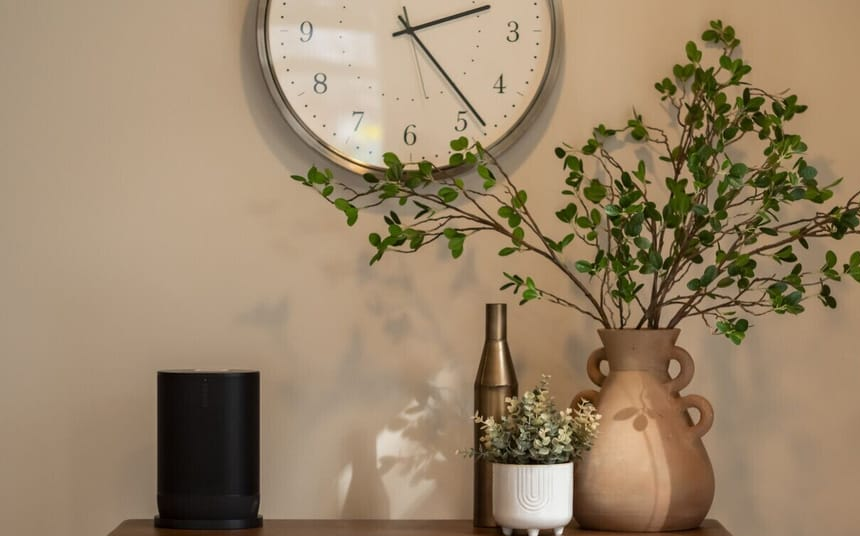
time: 2:23
